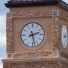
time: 2:27
